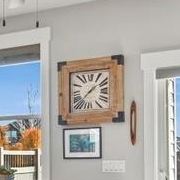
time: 1:37
